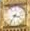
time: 3:35
